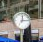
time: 12:14
